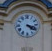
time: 4:18
